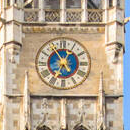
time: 6:55
